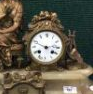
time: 2:48
